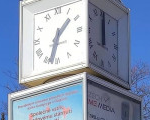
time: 1:33
